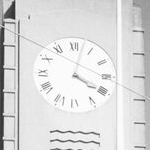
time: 4:02
